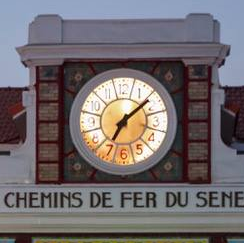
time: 7:08
